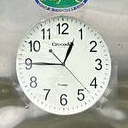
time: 12:45
